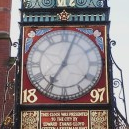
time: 7:03
